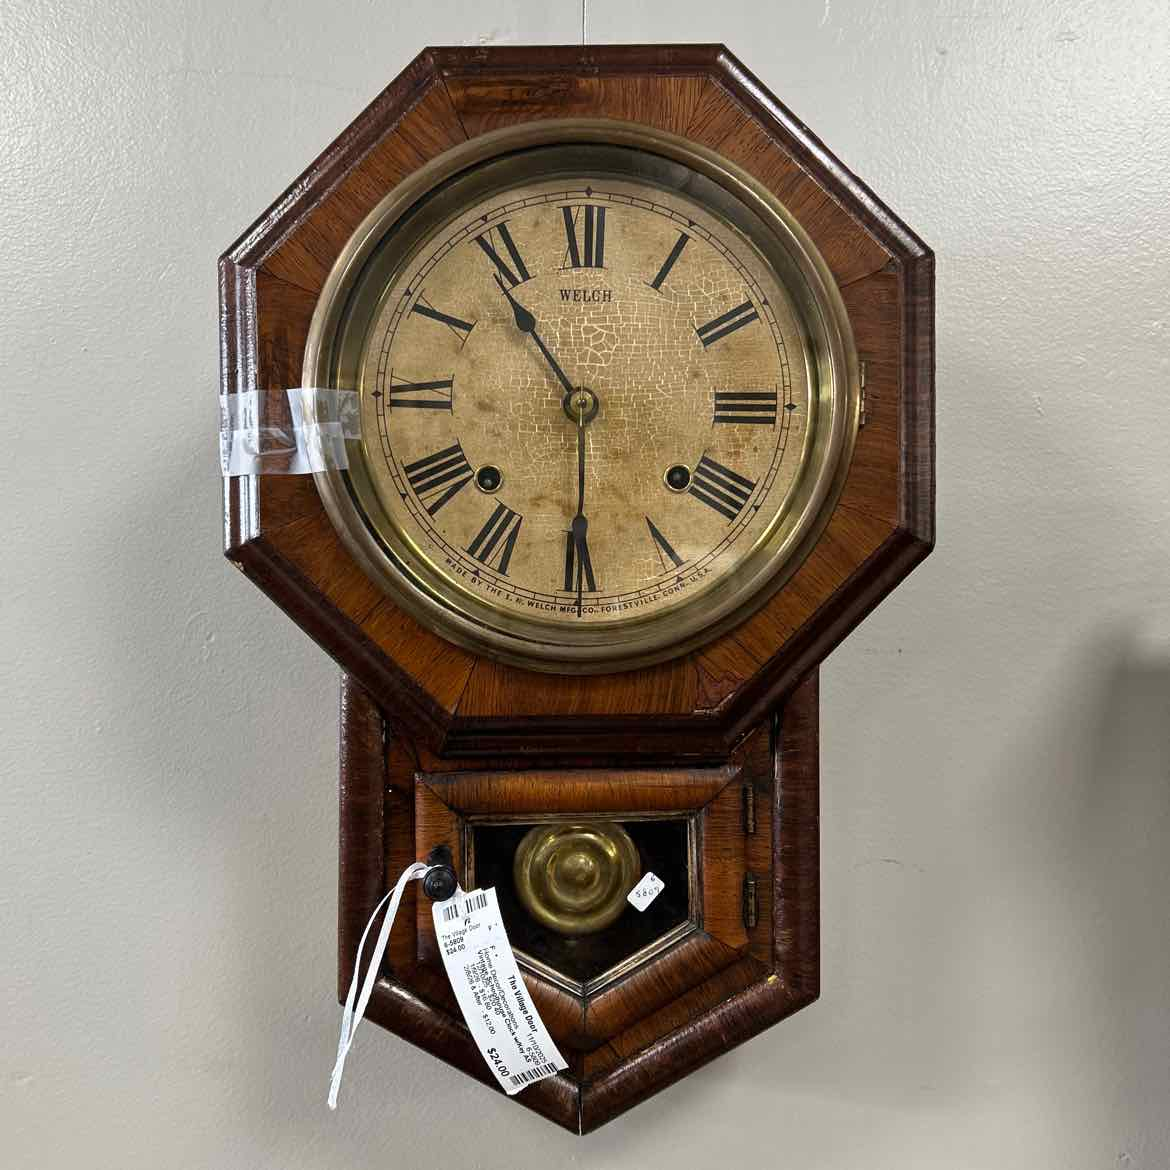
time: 5:54
